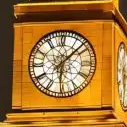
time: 6:07
